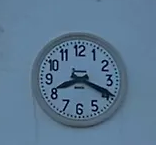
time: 8:18
